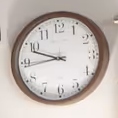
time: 9:44
